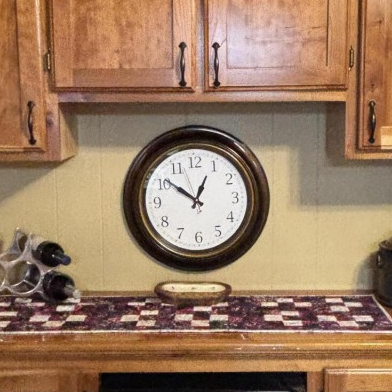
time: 12:51
